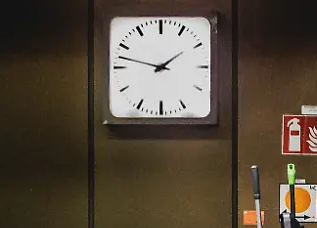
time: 1:47
